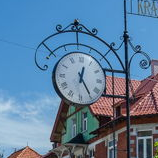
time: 12:24
